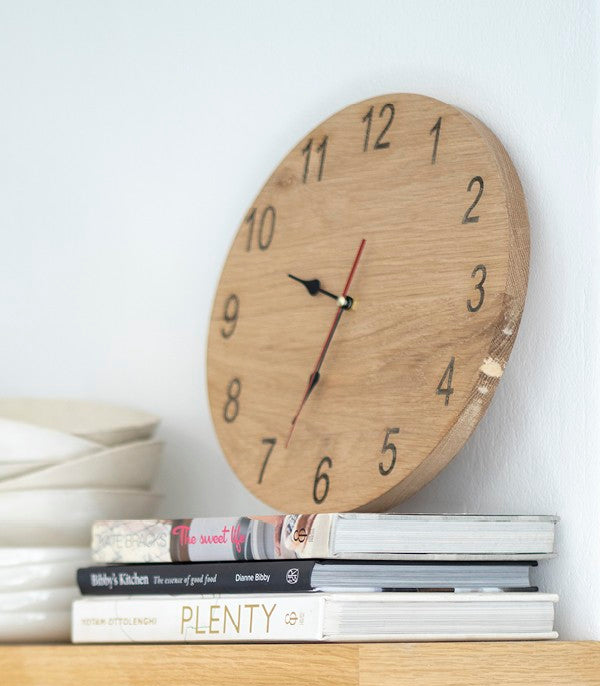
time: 9:33
